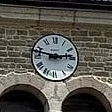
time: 2:47
